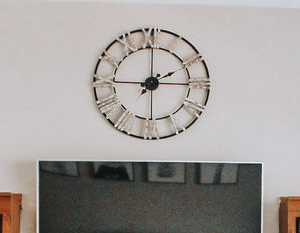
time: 2:00
